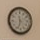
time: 11:33
